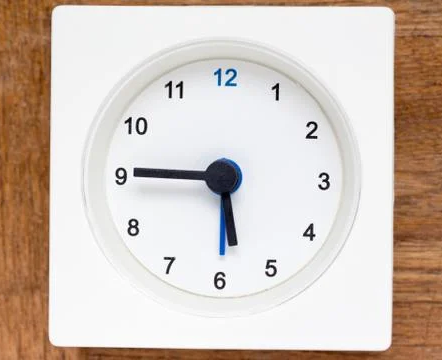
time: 5:45
